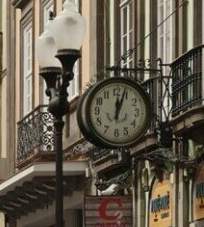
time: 12:03
